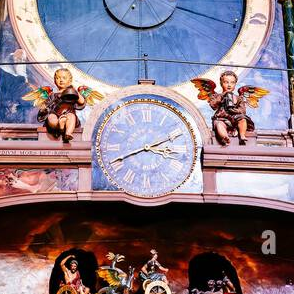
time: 3:40
